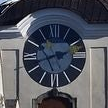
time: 2:42
